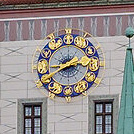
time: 8:40
